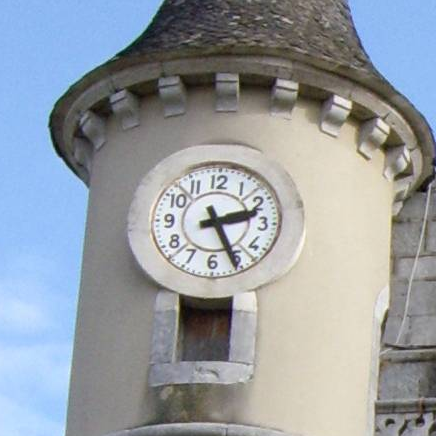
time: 2:25
